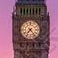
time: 7:23
